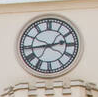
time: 2:44
